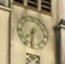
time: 7:31
